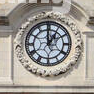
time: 12:59
